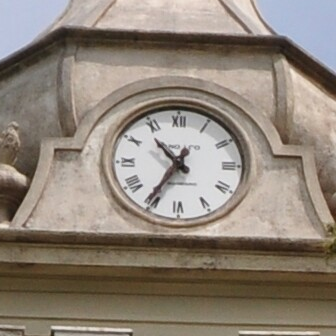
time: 10:35
